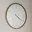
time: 4:20
